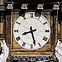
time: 8:27
